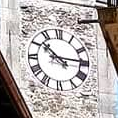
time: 10:14
